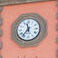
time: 11:36
